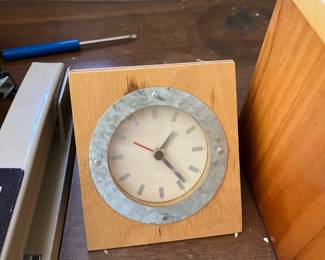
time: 1:23
